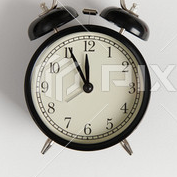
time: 11:55
